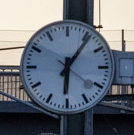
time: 6:06
